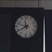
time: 11:39
